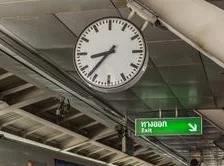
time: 8:37
